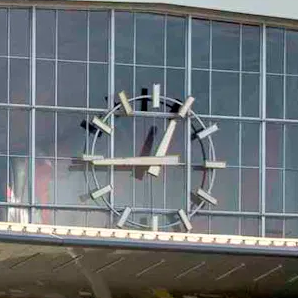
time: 12:45
